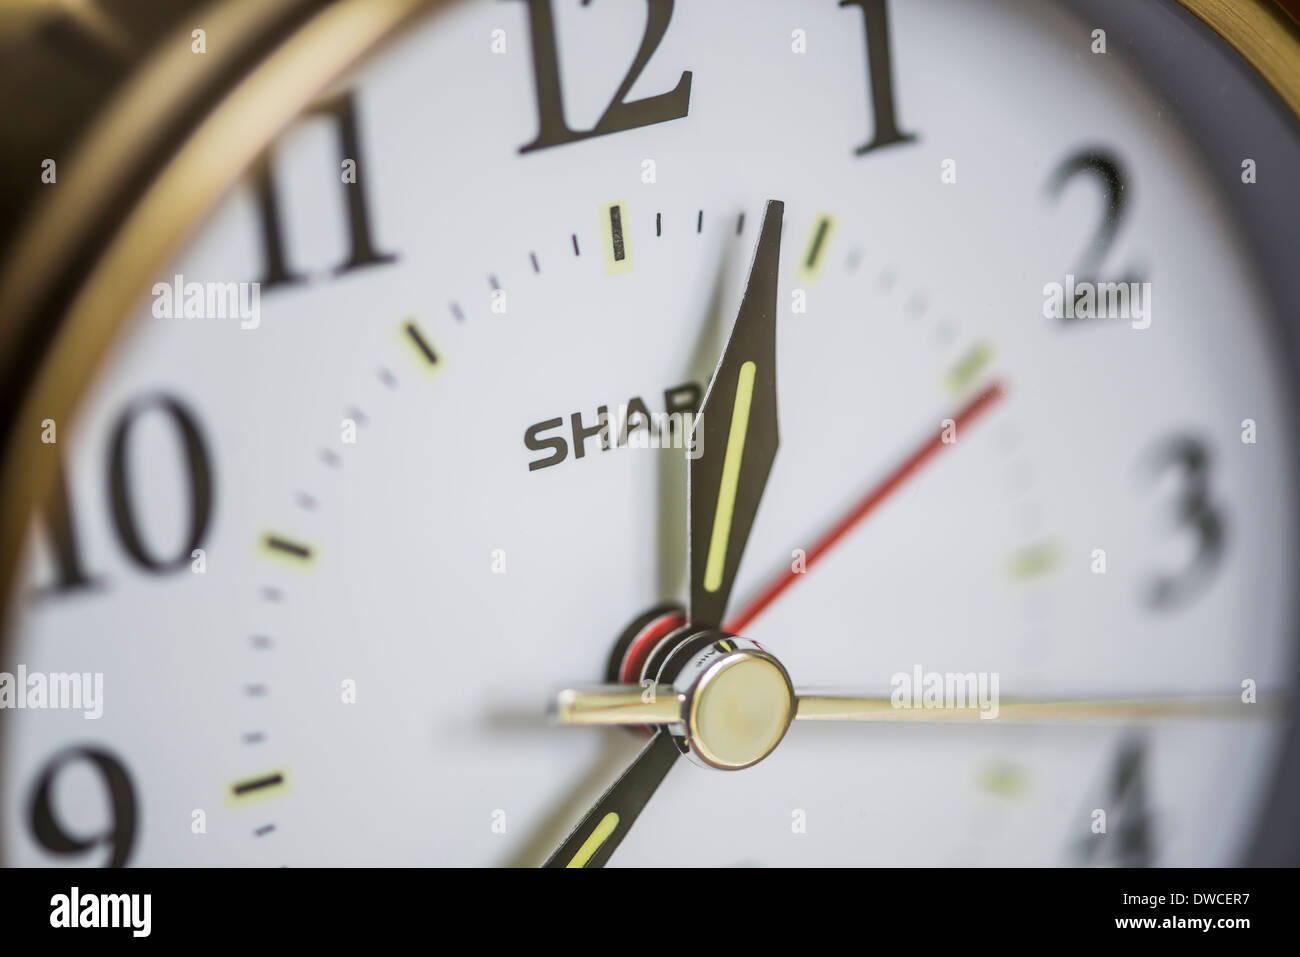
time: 7:03
